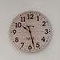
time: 10:27
